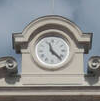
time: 11:22
